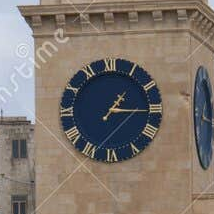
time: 1:15
